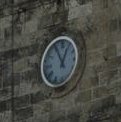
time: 12:55
